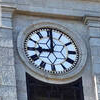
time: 9:00
